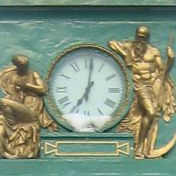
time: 7:01
